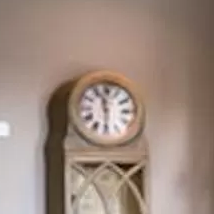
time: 11:29
